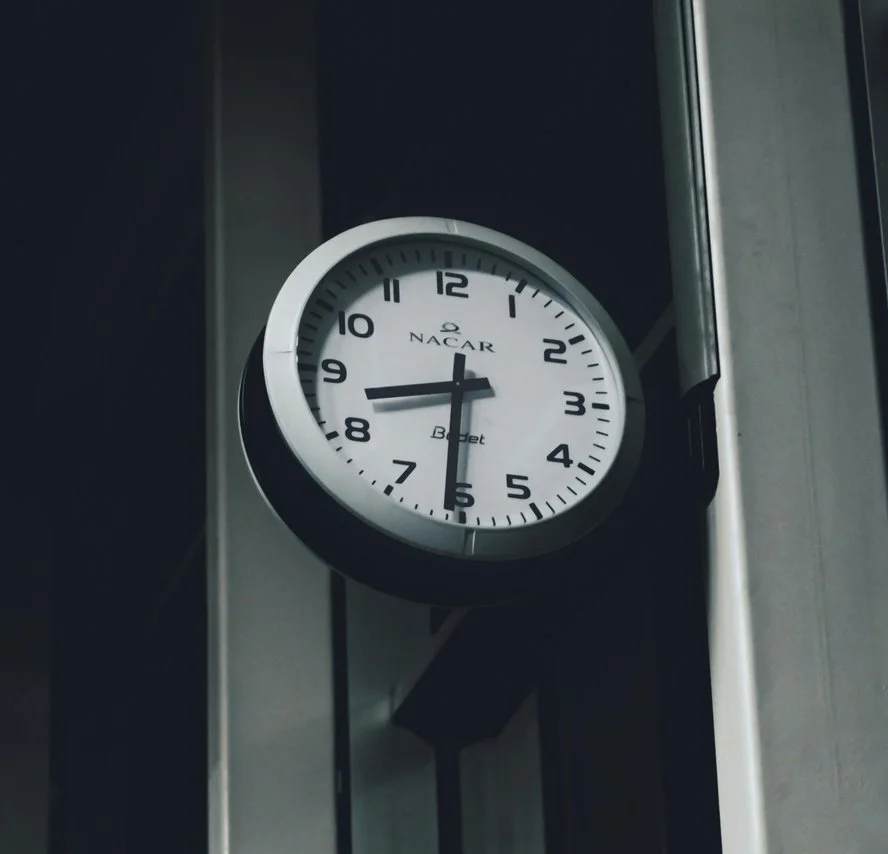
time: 8:30
